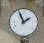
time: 1:56
